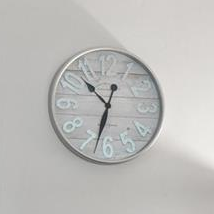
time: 10:32
